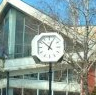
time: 12:52
